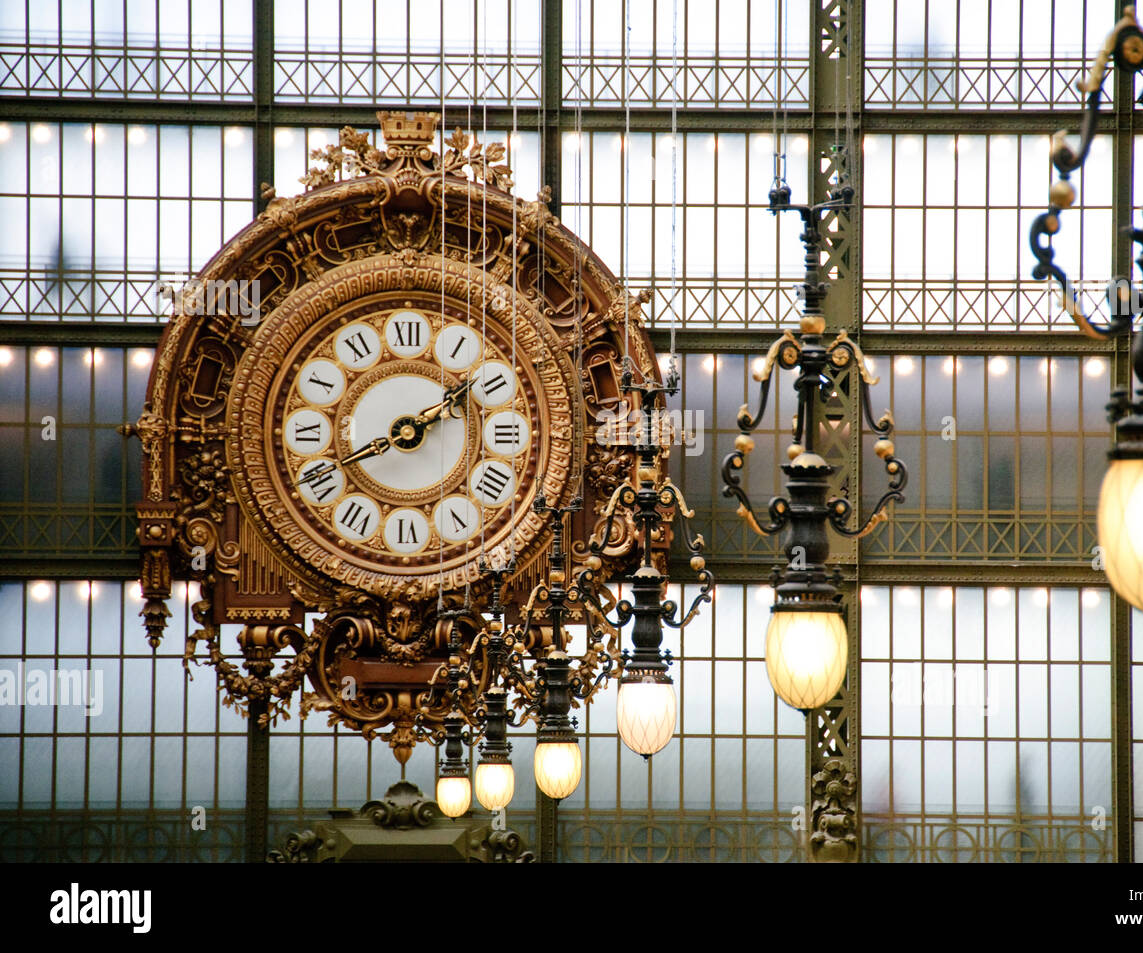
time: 1:40
